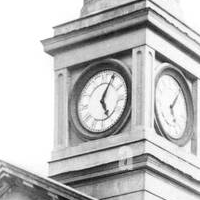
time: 5:04
